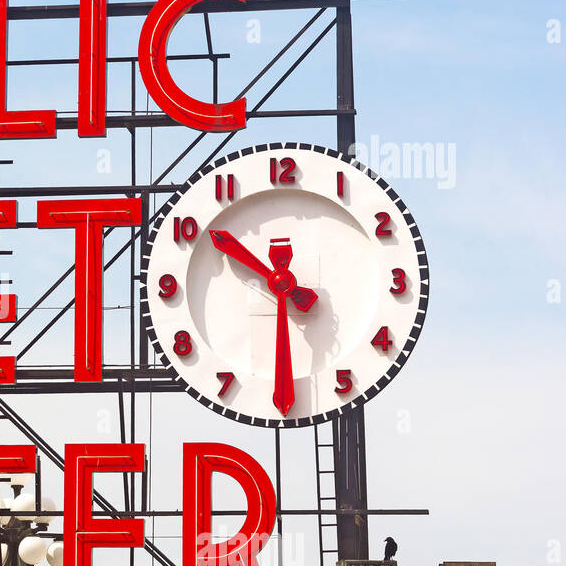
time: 10:30
